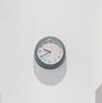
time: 9:40
